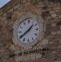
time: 1:39
